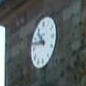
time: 10:47
